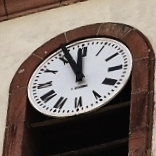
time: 11:55
